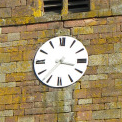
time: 3:36
